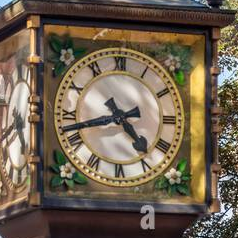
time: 4:42
